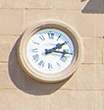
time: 2:16
